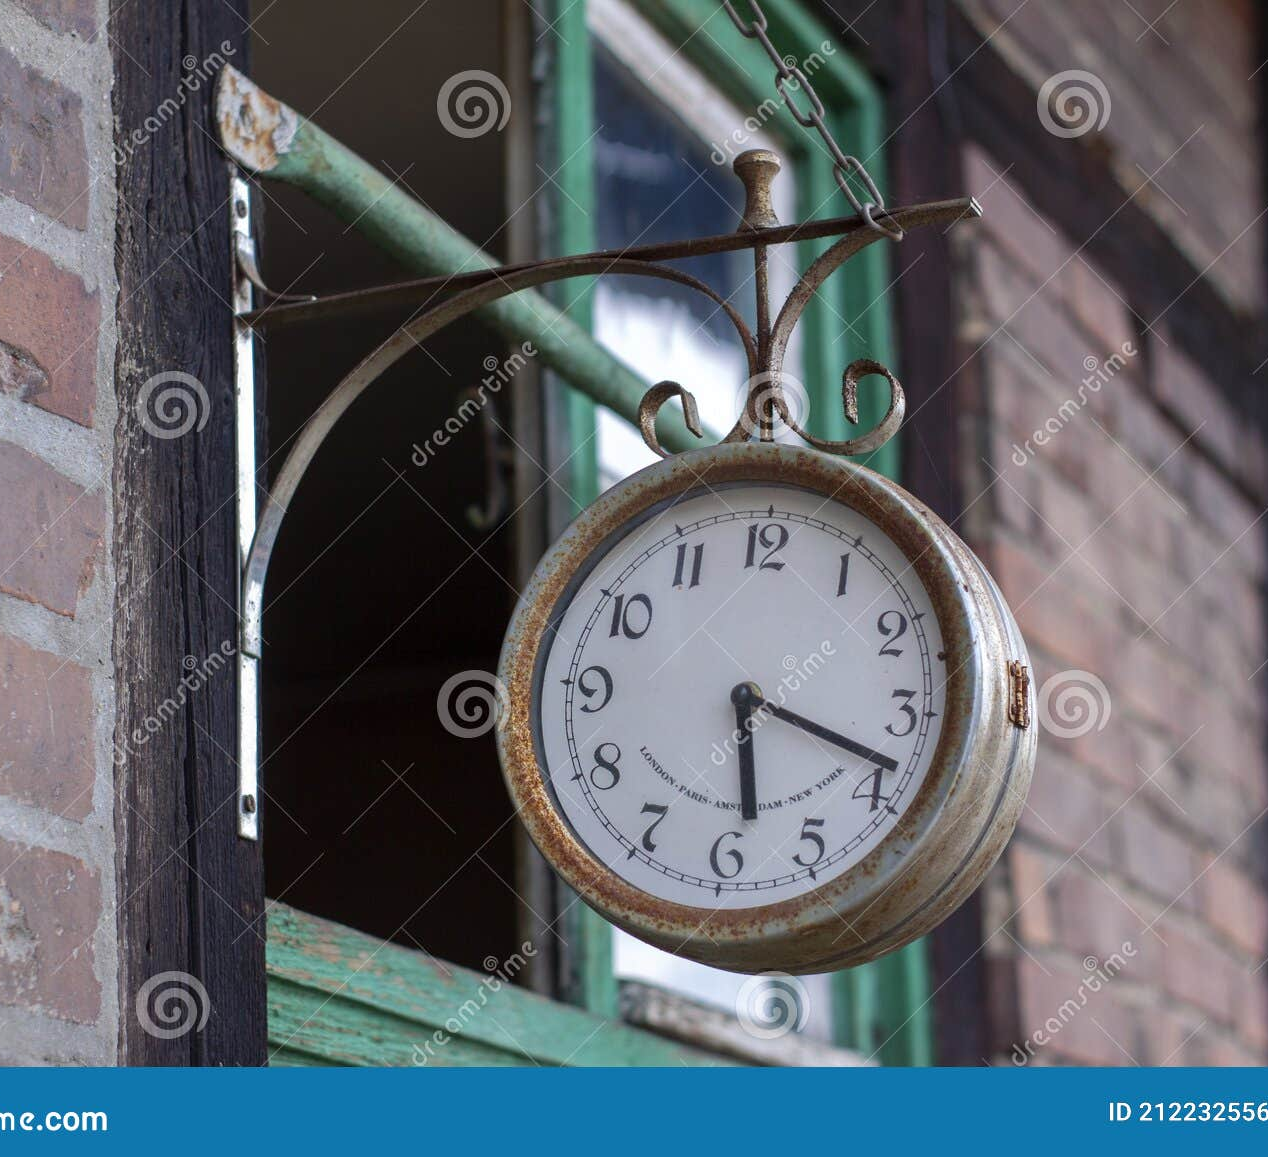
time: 5:18
